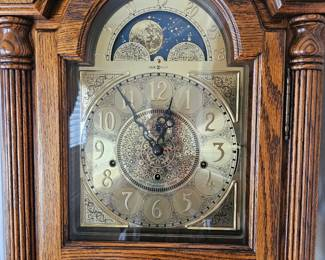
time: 12:54
